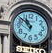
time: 10:51
